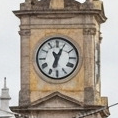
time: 11:04
